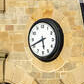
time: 5:41
